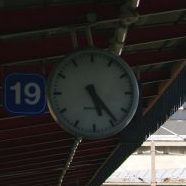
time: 5:23
